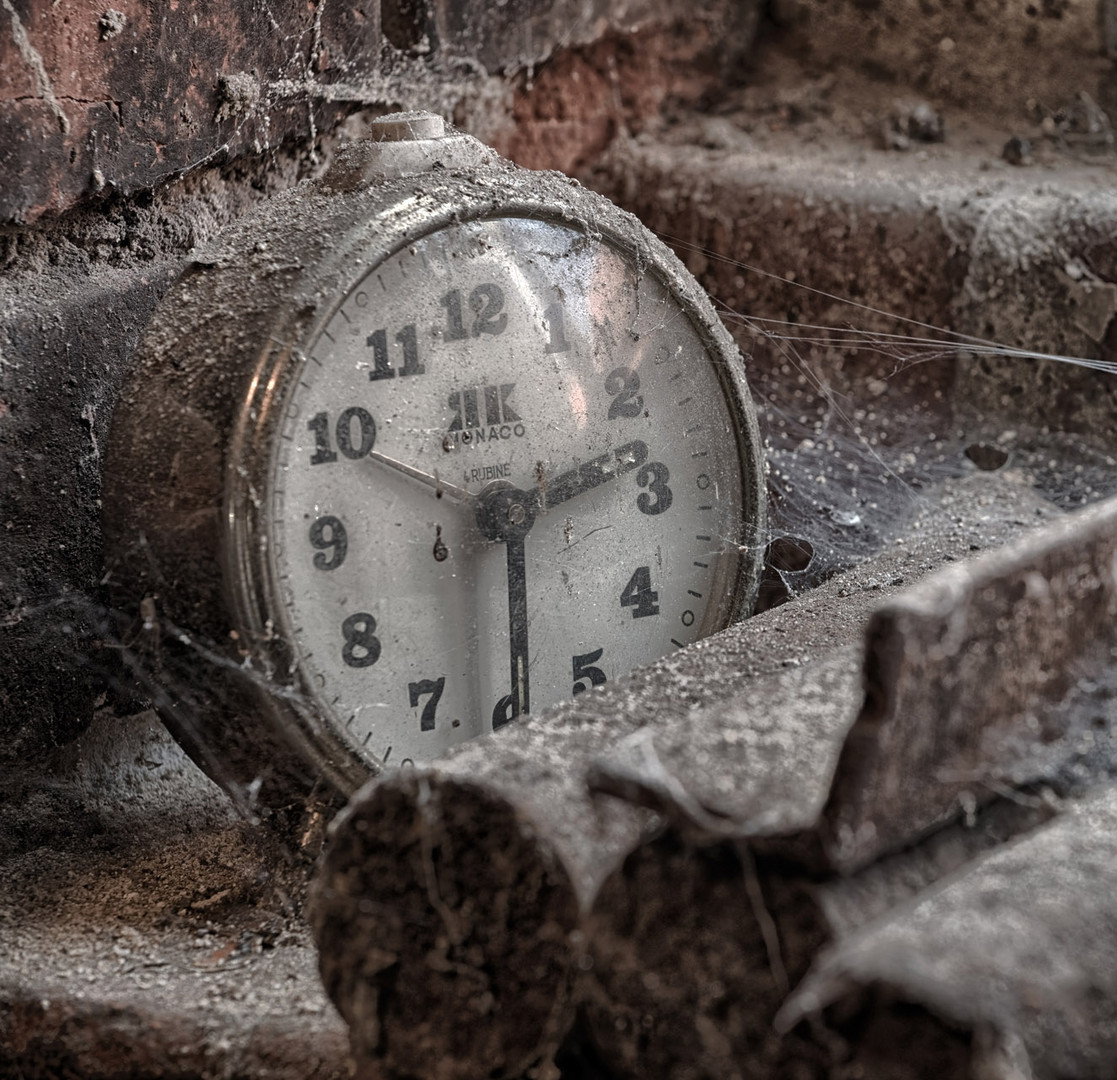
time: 2:29
